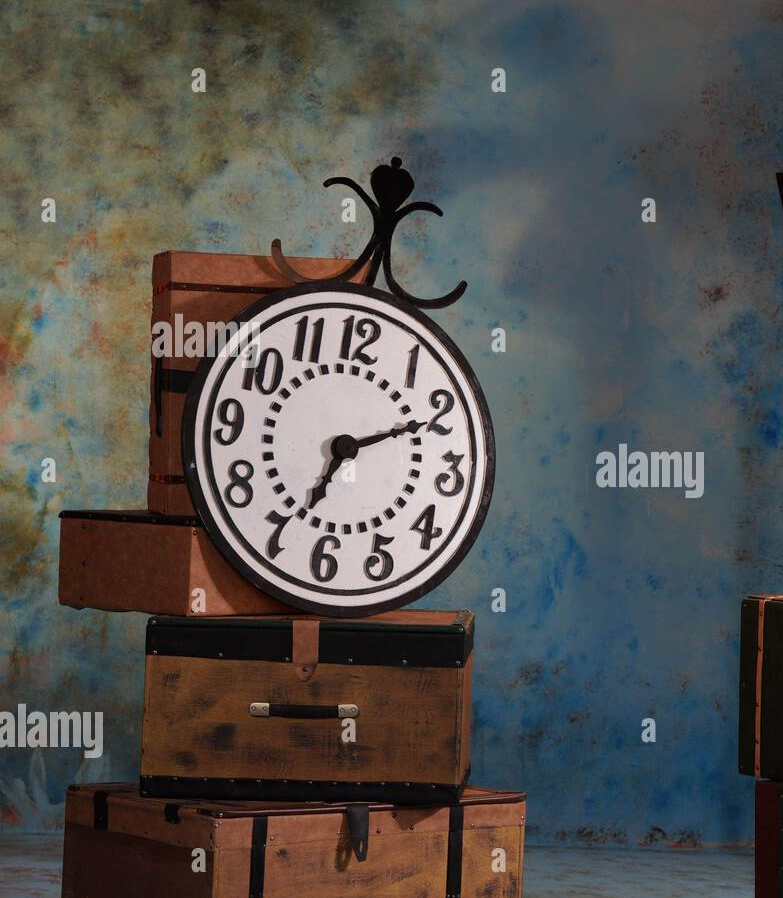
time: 7:11
